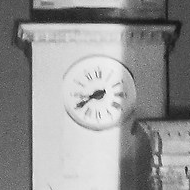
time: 8:39
